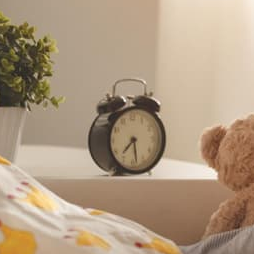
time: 7:28
